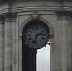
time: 2:32
